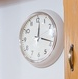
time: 12:18
